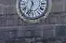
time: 11:32
